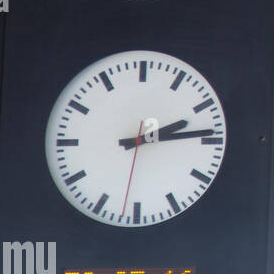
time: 2:13
